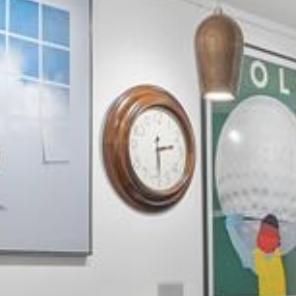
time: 2:29
